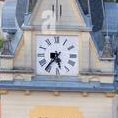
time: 5:36
